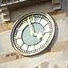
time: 3:57
